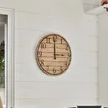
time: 2:59
